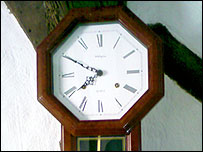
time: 7:49
